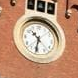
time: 10:32
